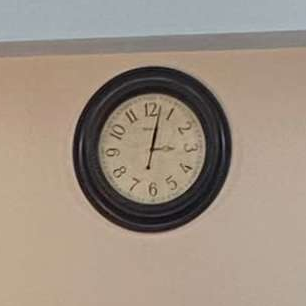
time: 3:02
